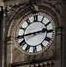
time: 2:43
